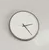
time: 2:24
